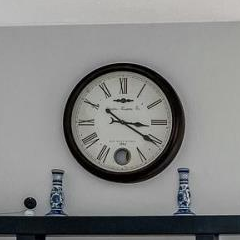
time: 3:20
